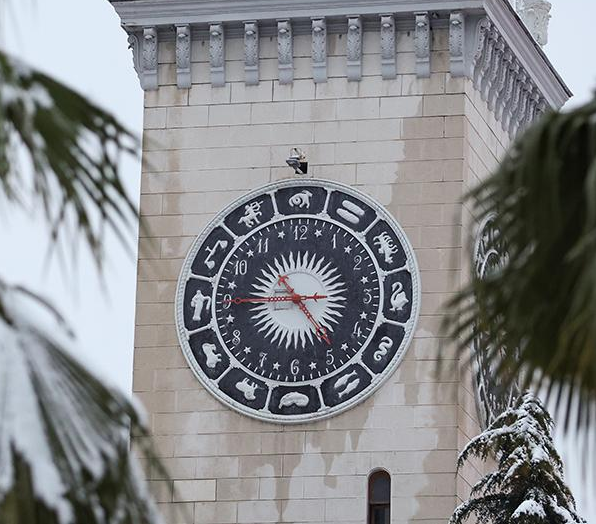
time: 10:45
